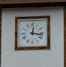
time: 12:16
